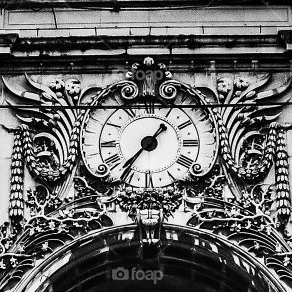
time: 1:36
